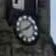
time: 1:41
